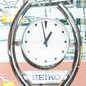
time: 12:58
